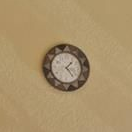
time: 1:23
